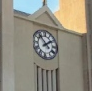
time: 1:53
